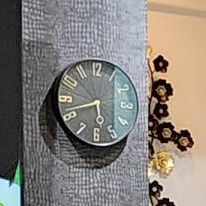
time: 5:41
